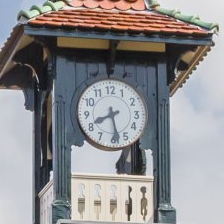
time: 8:28
